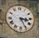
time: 3:25
